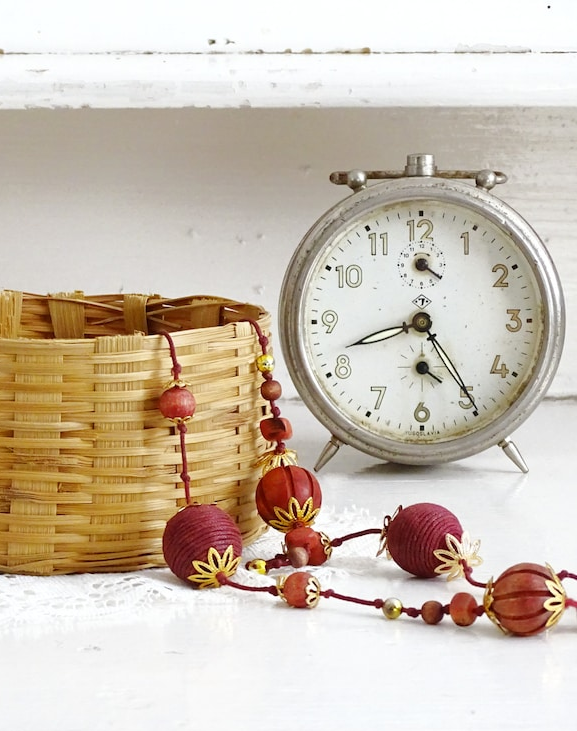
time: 8:24
